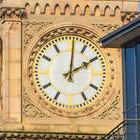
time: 2:01
